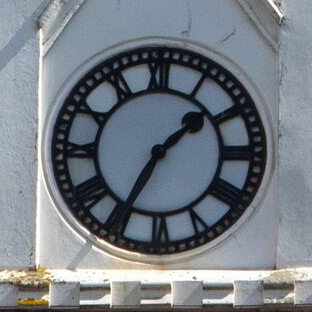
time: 1:34
